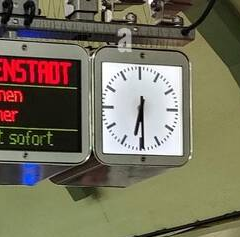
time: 6:29
